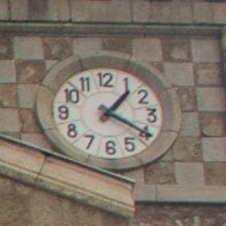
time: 1:20
